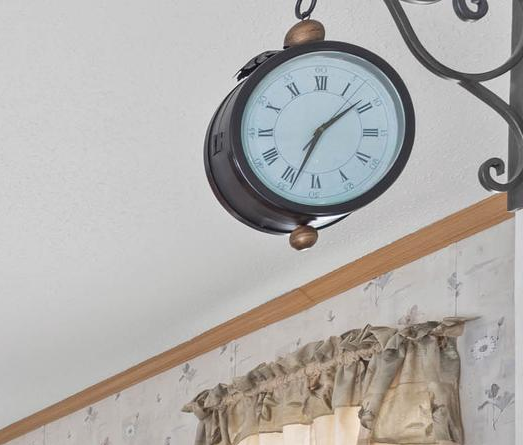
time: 1:33
